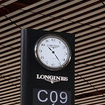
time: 10:23
